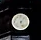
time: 5:06
